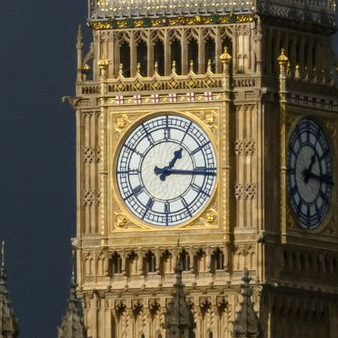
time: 1:16
